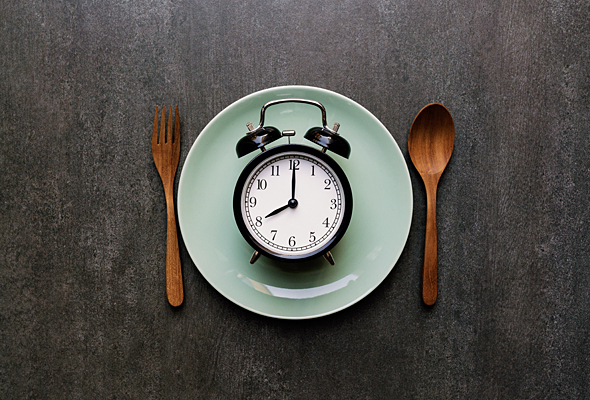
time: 8:00
